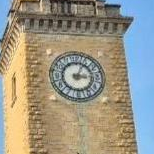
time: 3:04
